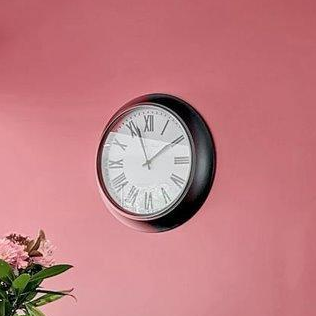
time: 1:56
